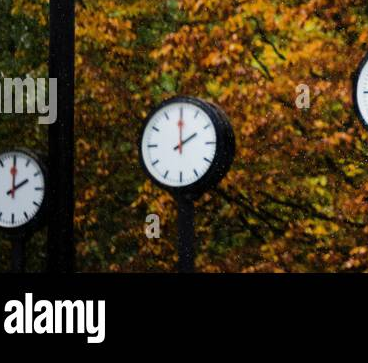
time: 2:00
